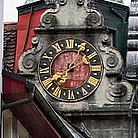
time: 7:40
